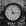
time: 11:16
